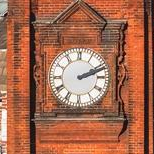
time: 2:11
